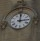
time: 3:00
